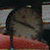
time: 3:48
